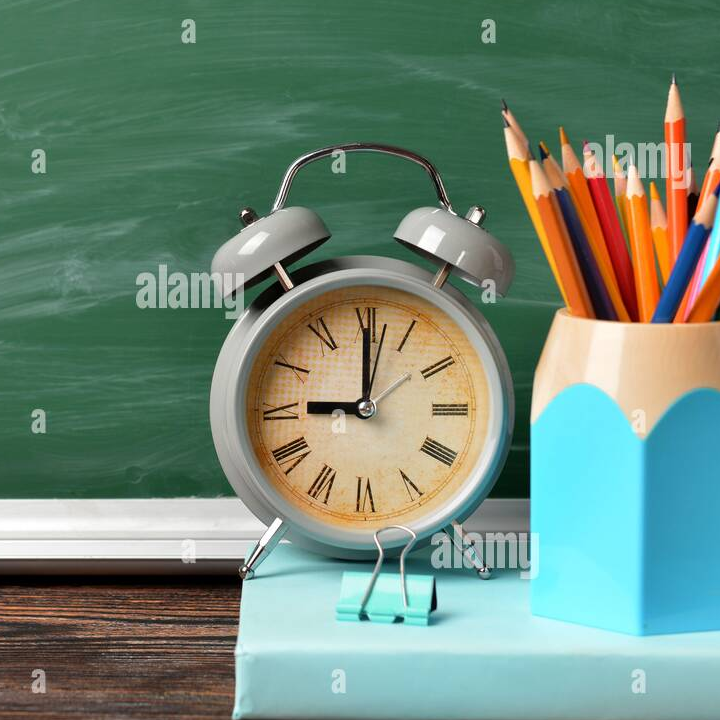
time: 9:00
